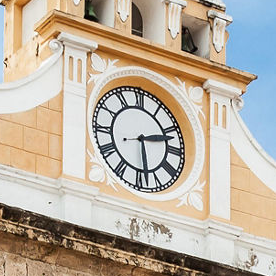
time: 2:28
